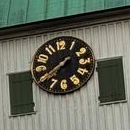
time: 7:39
